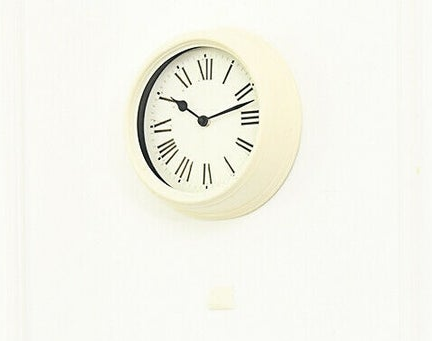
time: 10:12
